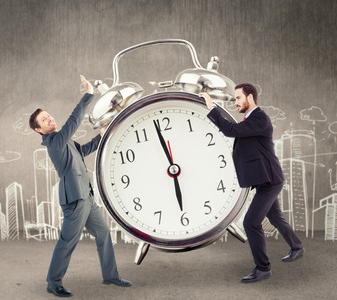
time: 5:58
